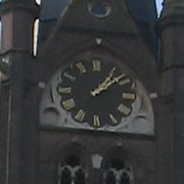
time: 1:08
